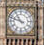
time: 10:48
